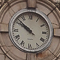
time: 9:51
